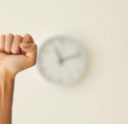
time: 11:11
